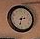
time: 2:33
